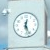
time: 12:26
